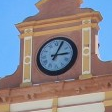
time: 3:04
